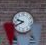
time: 9:41
